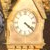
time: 4:21
